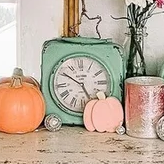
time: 4:50
